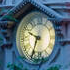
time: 9:34
